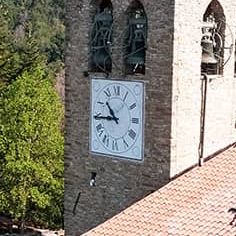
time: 10:44
